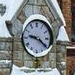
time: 9:20
